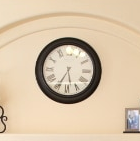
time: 5:34
